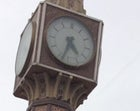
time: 4:33
